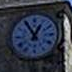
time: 12:55
